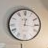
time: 12:16
